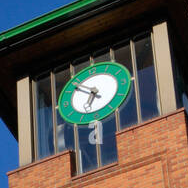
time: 6:52
